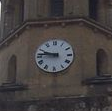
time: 9:45
